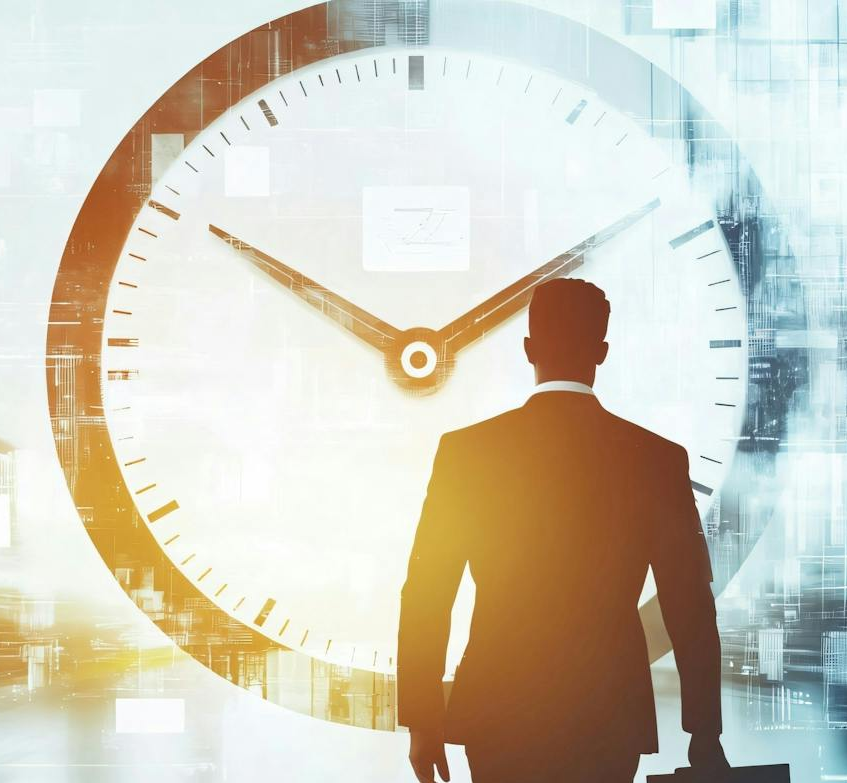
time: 1:50
